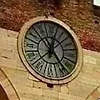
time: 12:23
